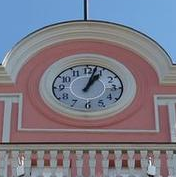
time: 1:02
